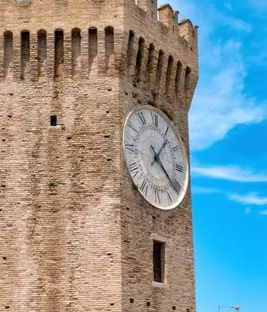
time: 1:21
